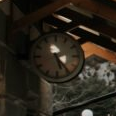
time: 5:24
